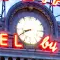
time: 8:40
